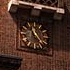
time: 11:23
